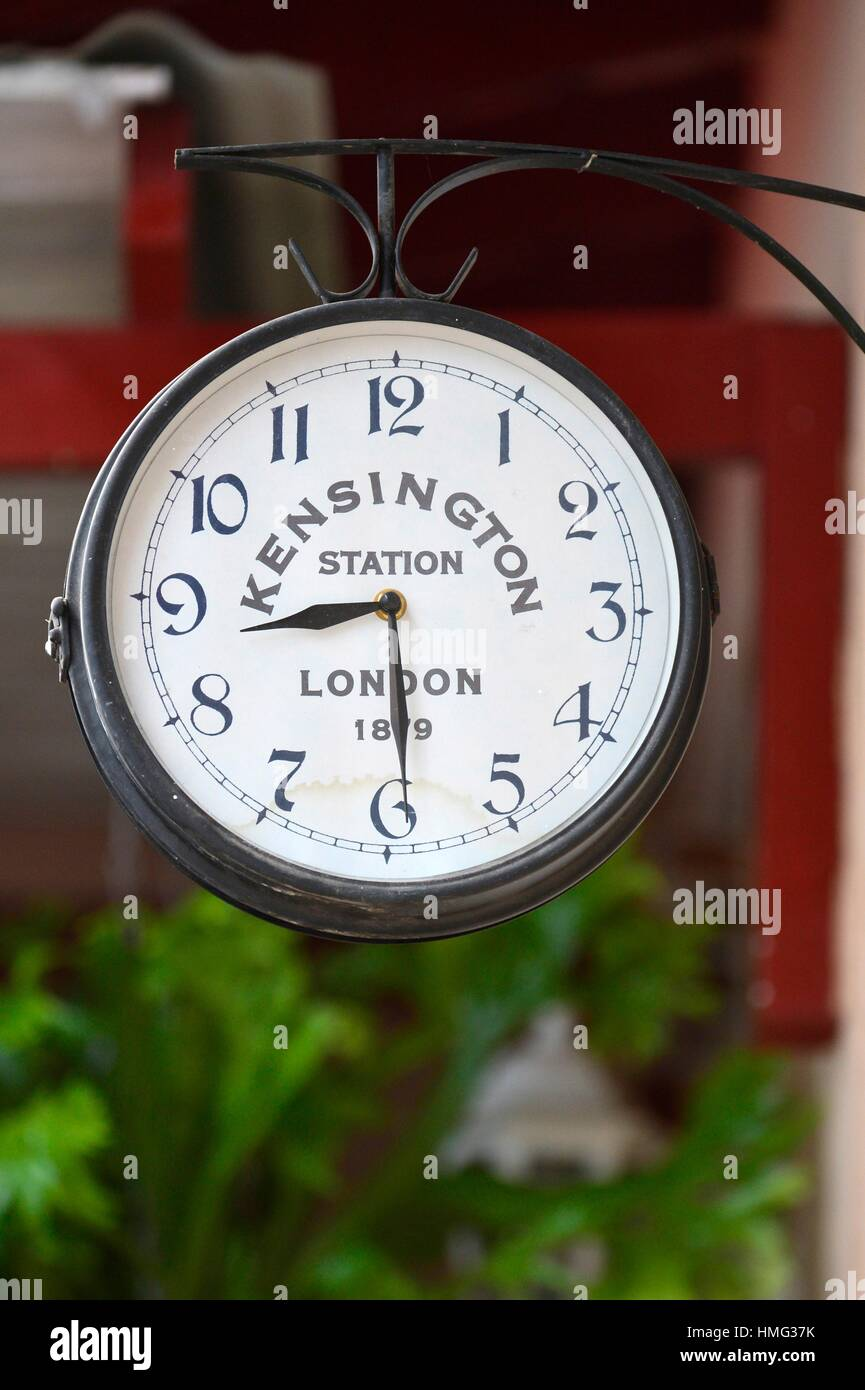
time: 8:29
